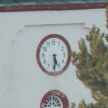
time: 5:29
